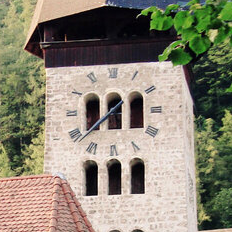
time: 5:38
